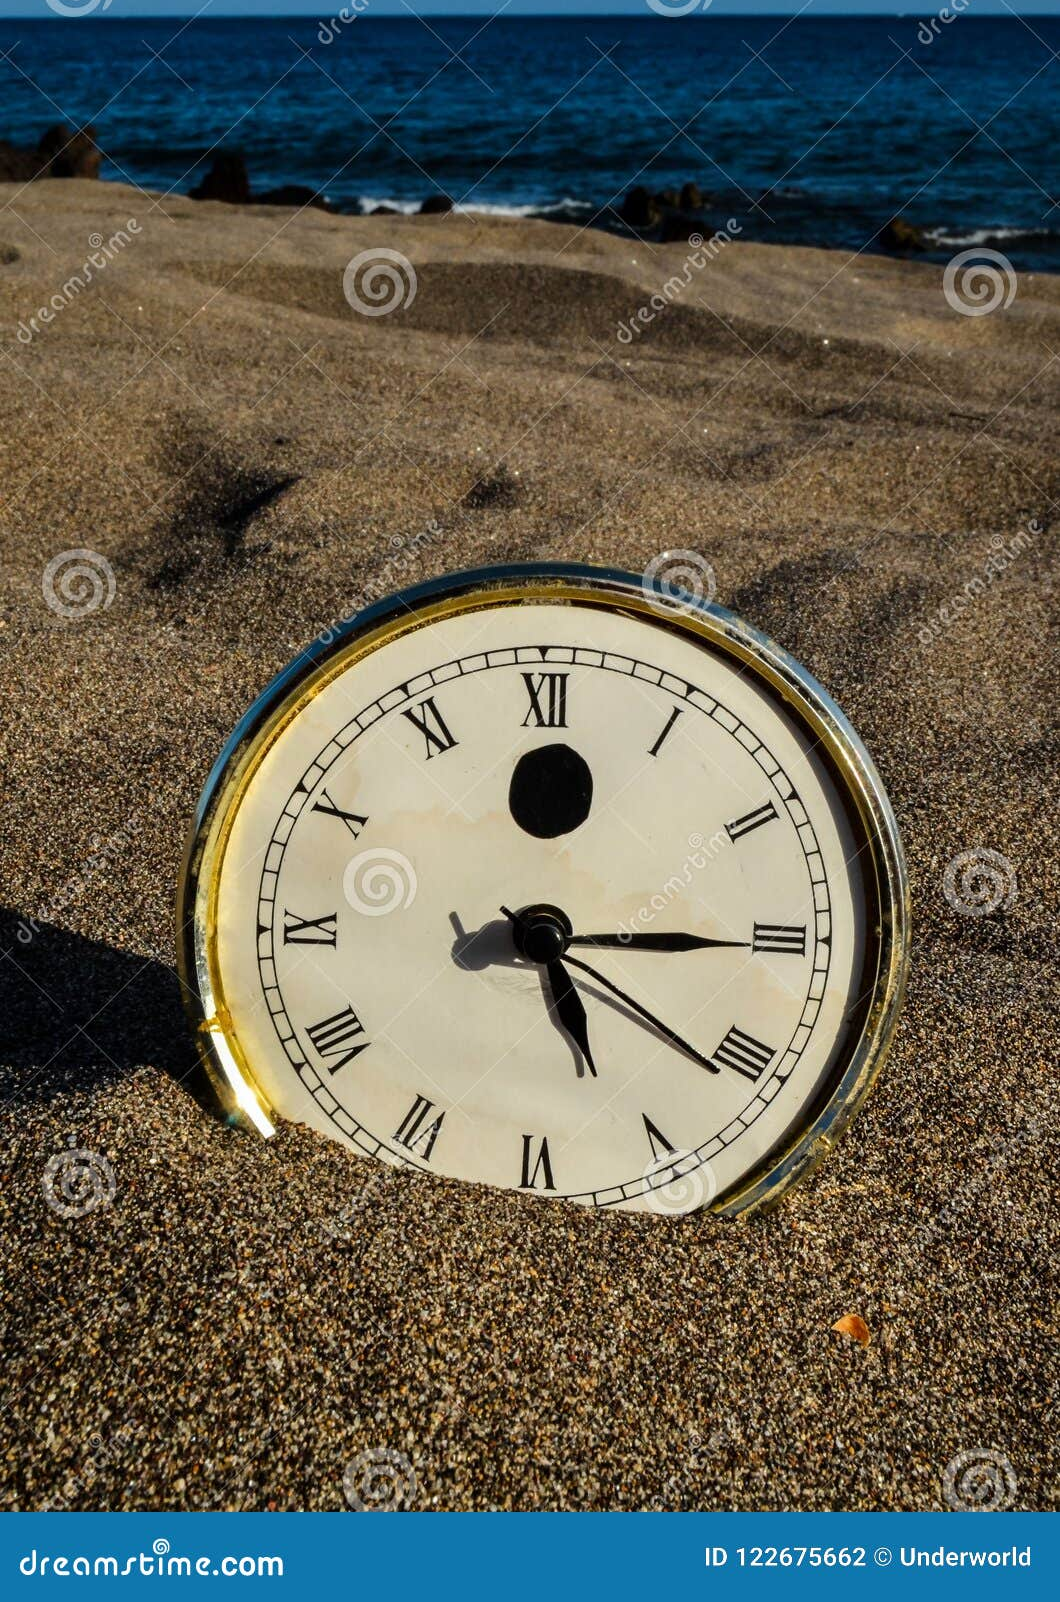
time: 5:15
